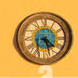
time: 4:27
